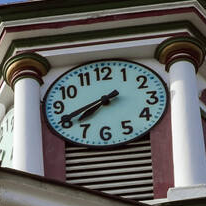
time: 7:40
